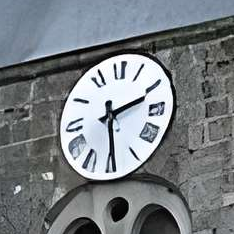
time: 2:29
